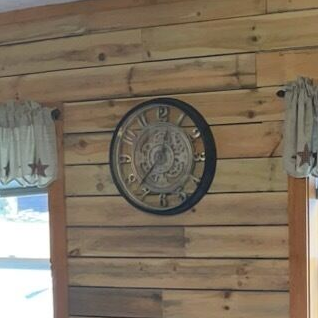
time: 12:37
